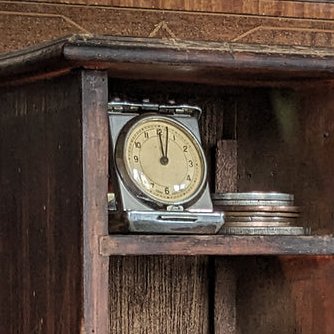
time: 12:02
